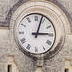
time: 3:03
